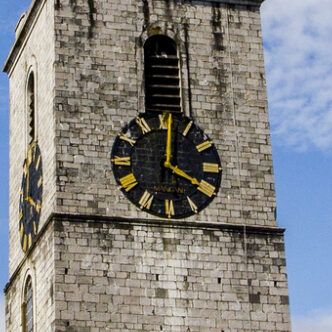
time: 4:01
